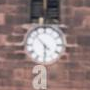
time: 5:52
